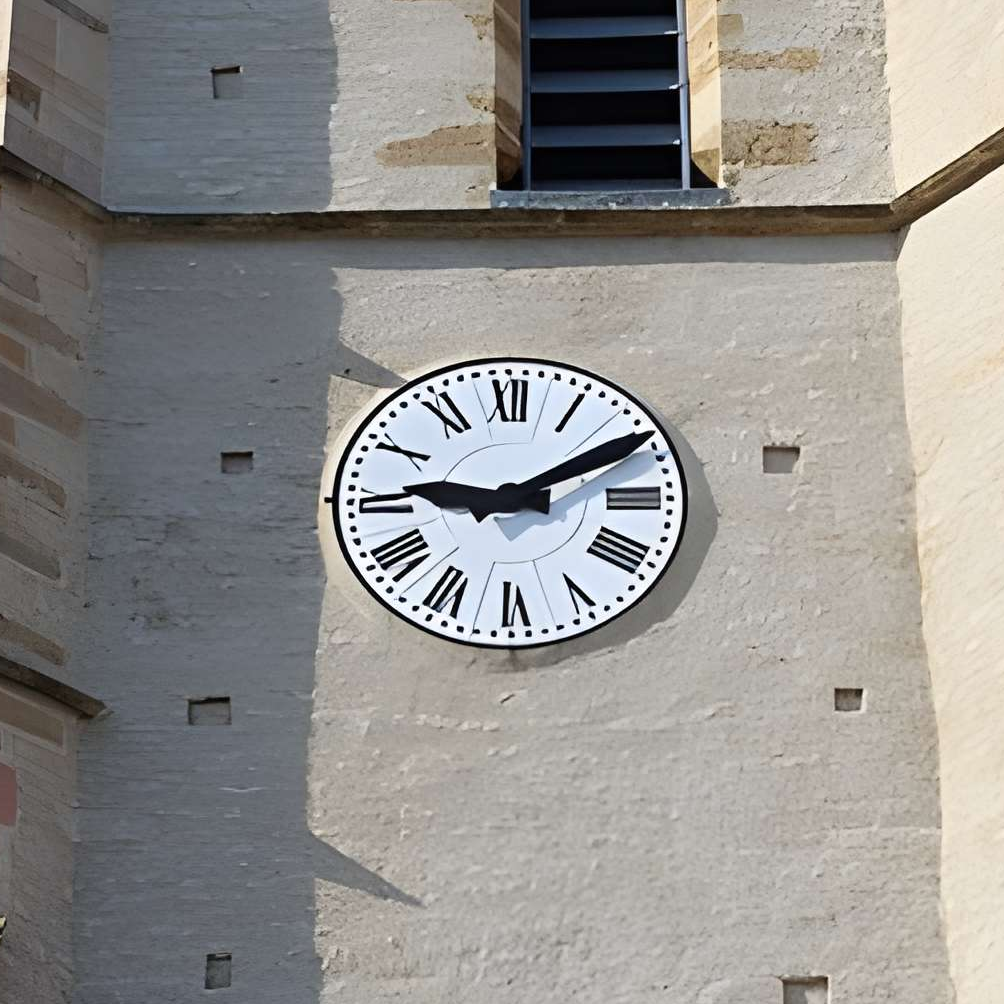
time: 9:10
